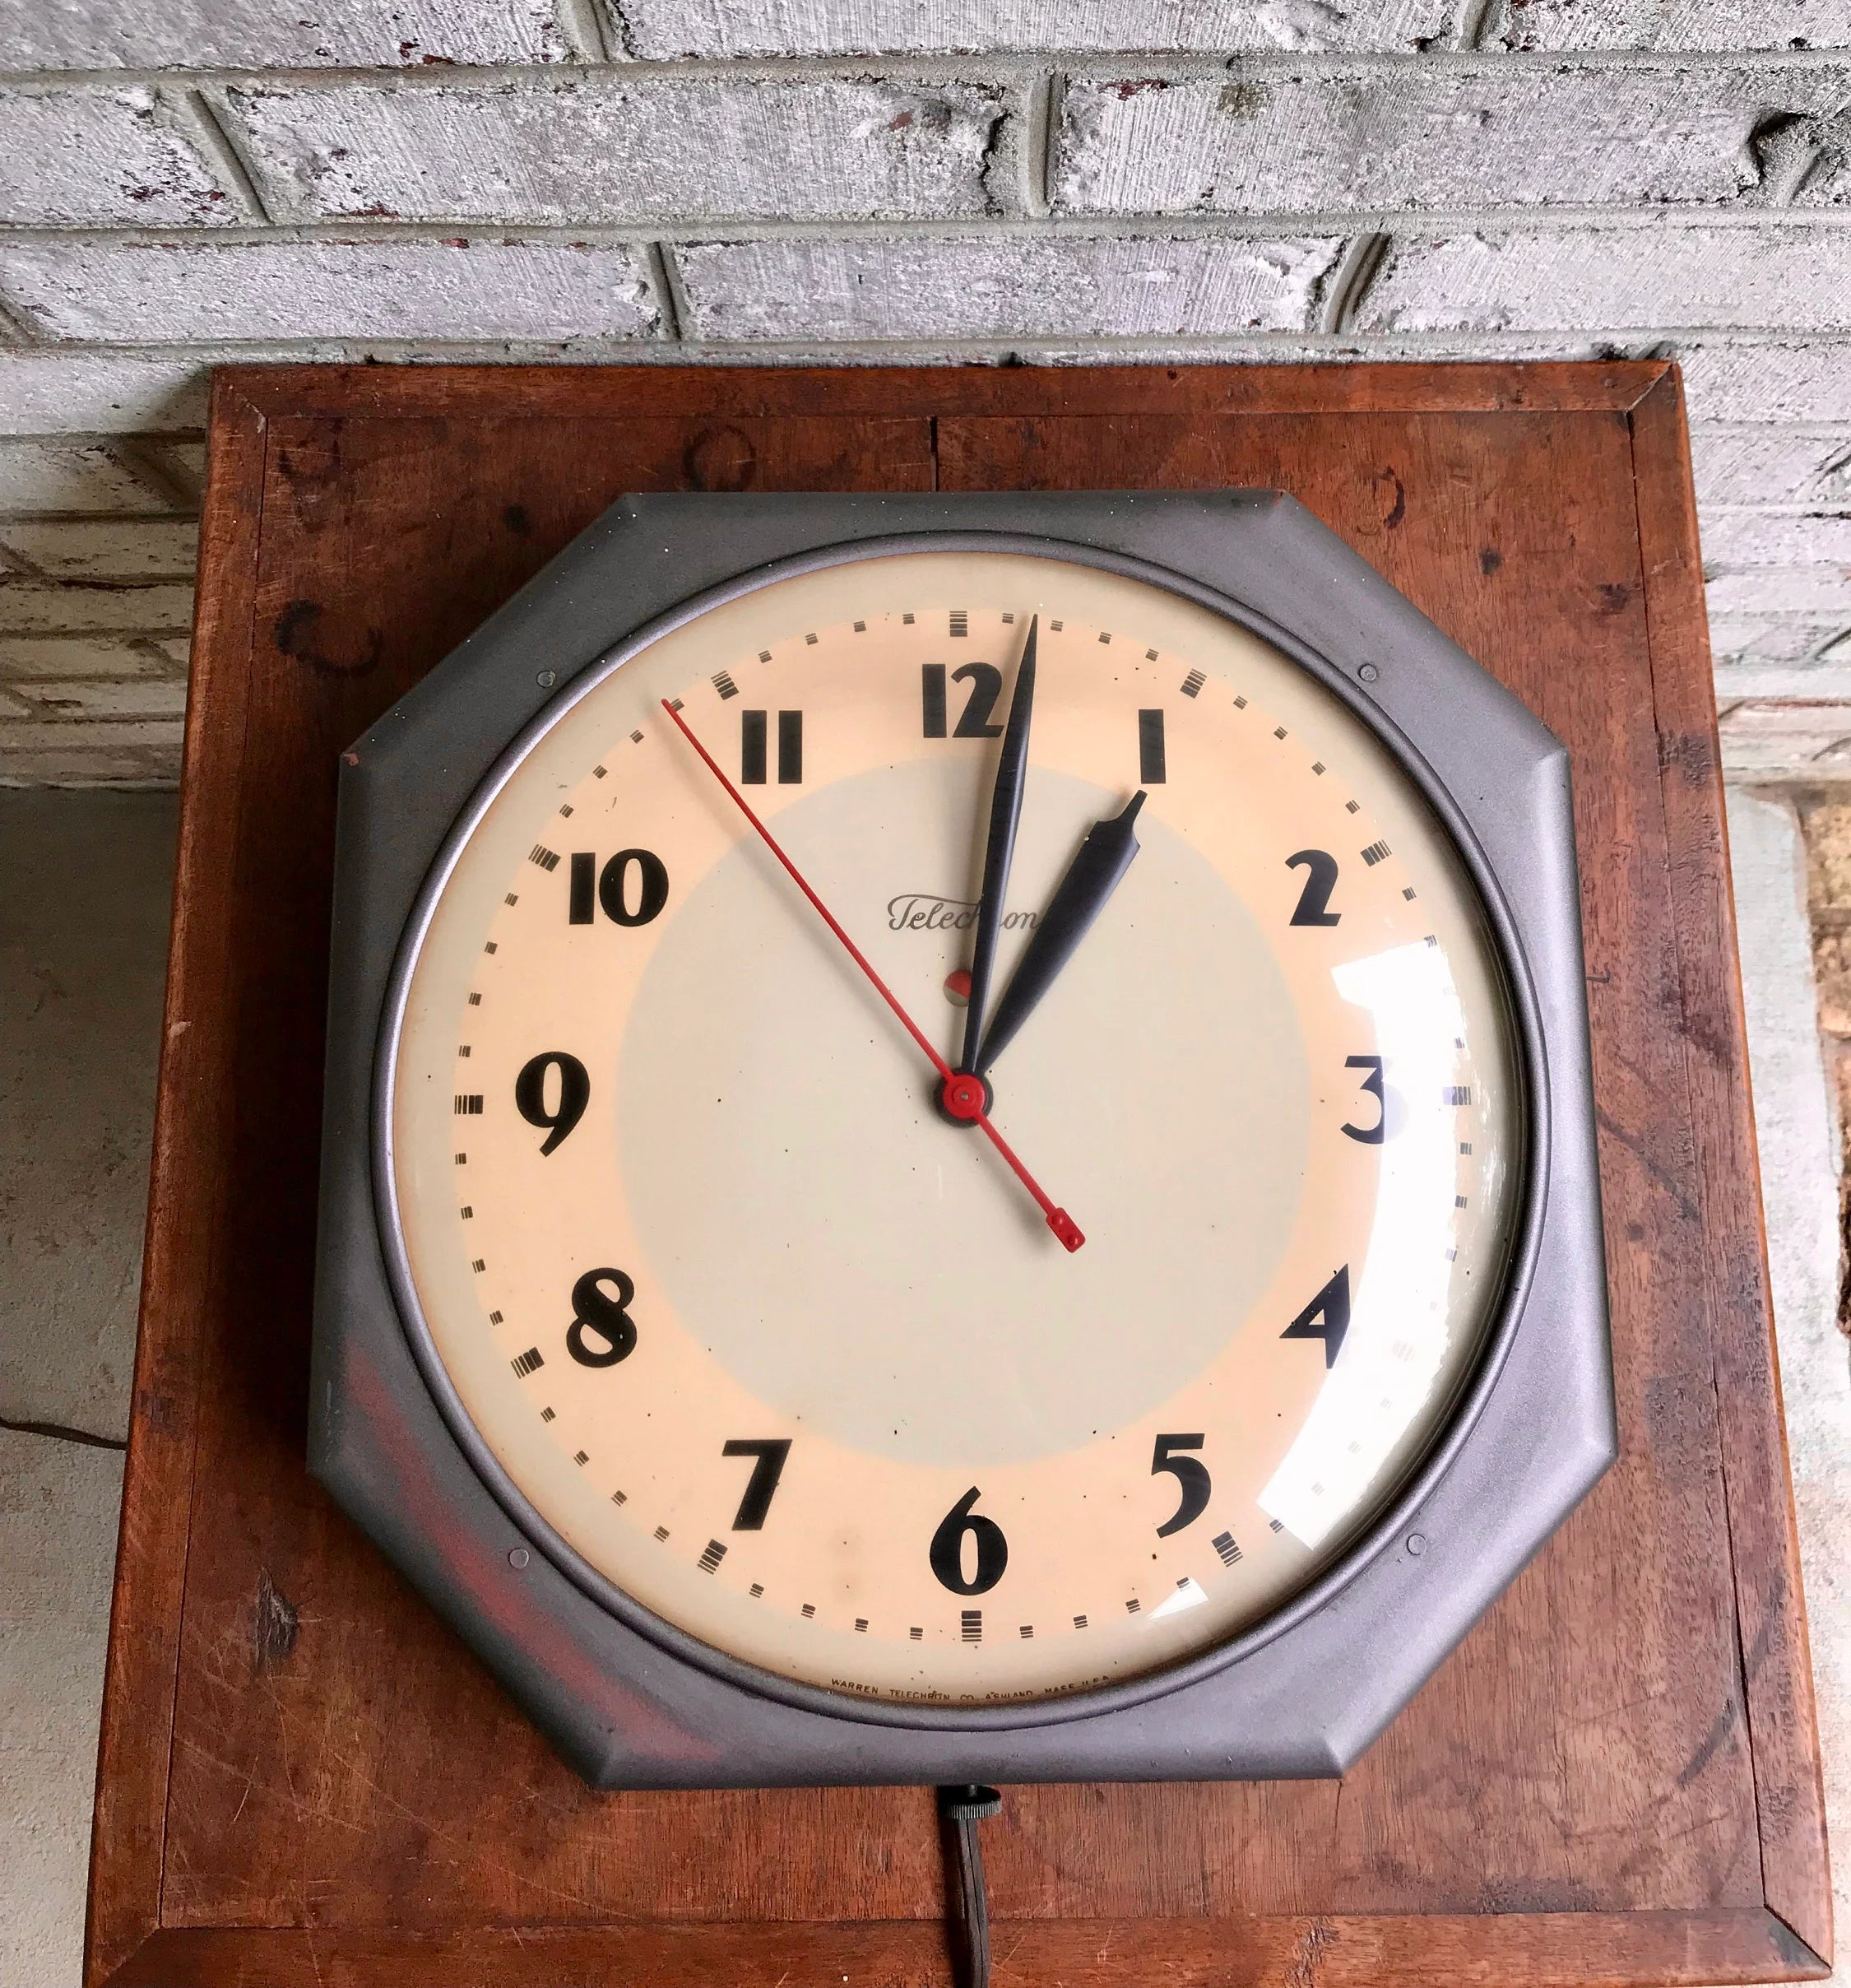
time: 1:01
